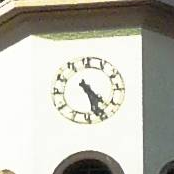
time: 4:26
